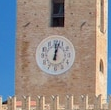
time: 12:02
